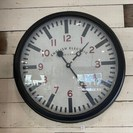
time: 1:24
